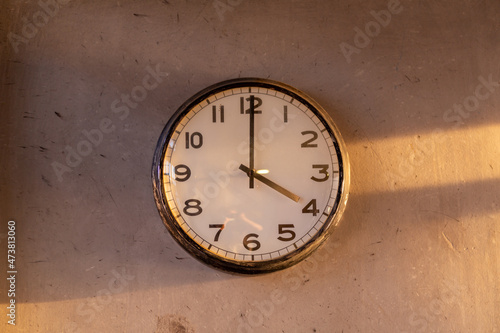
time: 4:00
